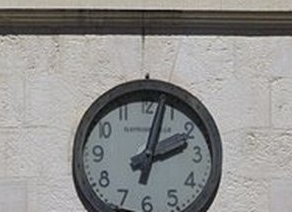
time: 2:02
